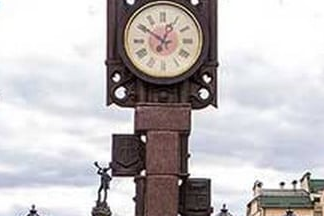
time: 12:50
